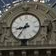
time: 8:35
